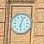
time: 6:03
